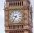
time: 9:36
